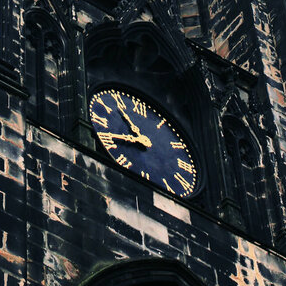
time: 10:41
